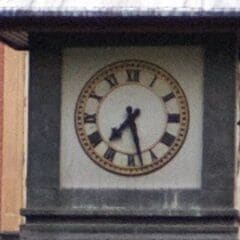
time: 7:27
